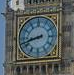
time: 8:42
